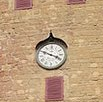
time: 3:49
